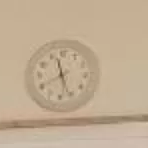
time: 11:26
